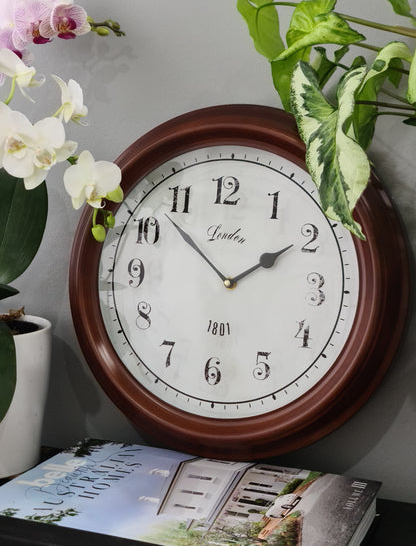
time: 1:52
